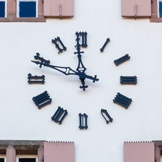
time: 11:48
